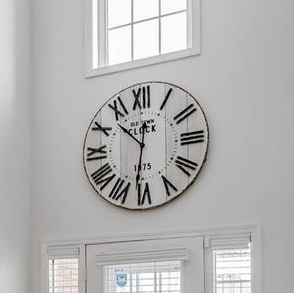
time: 10:31
